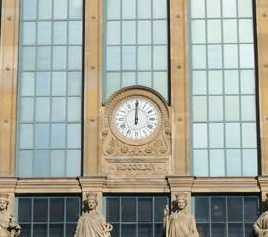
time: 12:00
